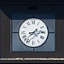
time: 8:37
